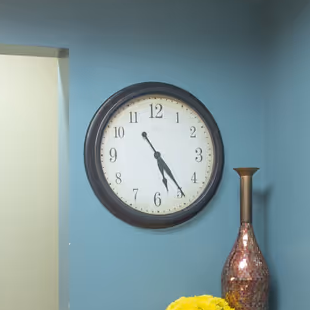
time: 5:24
